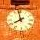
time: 7:57
